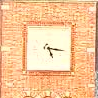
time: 5:16
